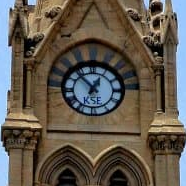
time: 12:53
